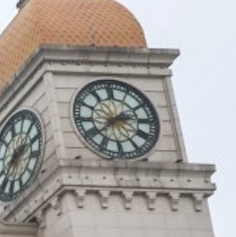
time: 2:38
